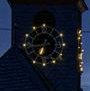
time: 6:43
